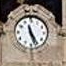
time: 11:25
